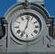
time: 7:01
